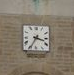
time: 3:34
